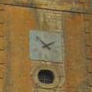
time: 1:52
